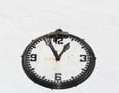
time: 12:55
